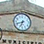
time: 6:41
